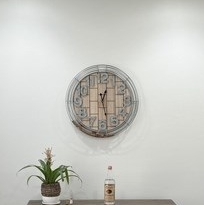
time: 12:28
